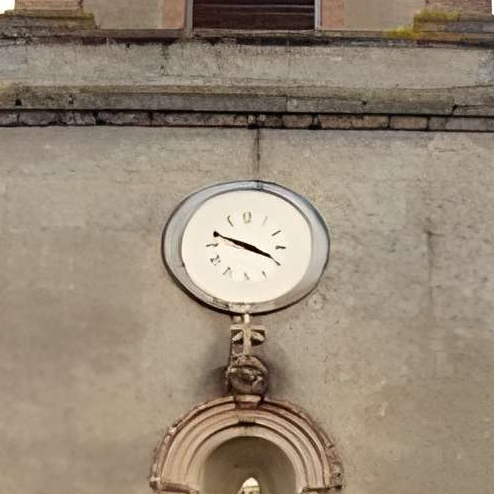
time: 3:48
